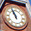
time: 10:56
